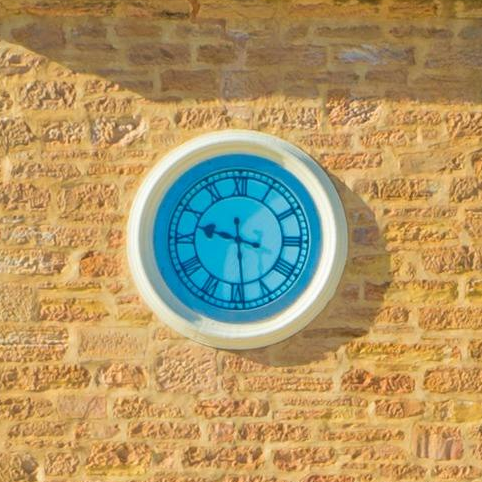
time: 9:29
